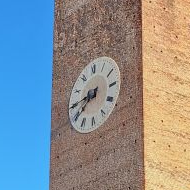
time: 7:44
